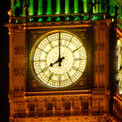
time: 7:59
